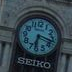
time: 6:17
